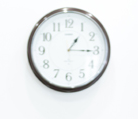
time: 1:15
